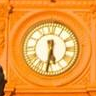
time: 5:31
